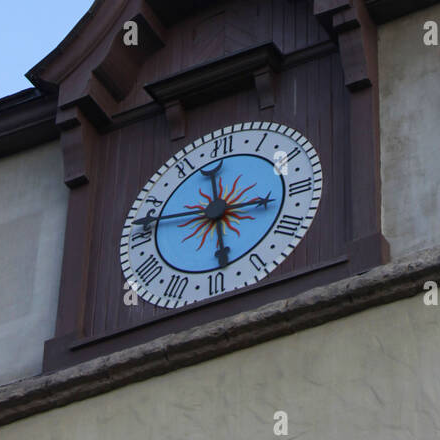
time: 3:28
